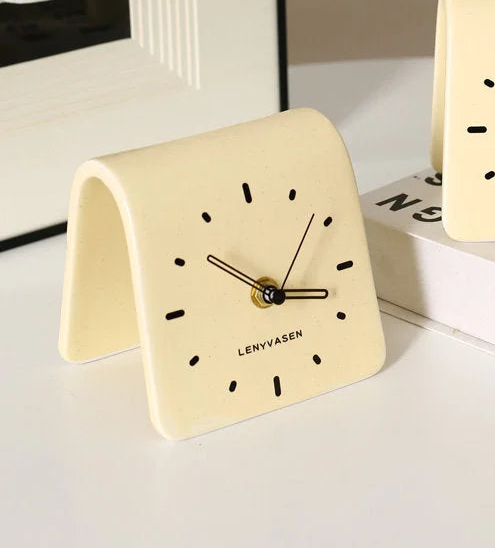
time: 10:17
